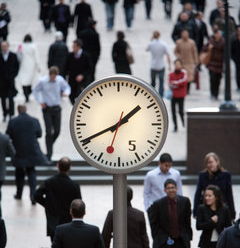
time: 1:40
